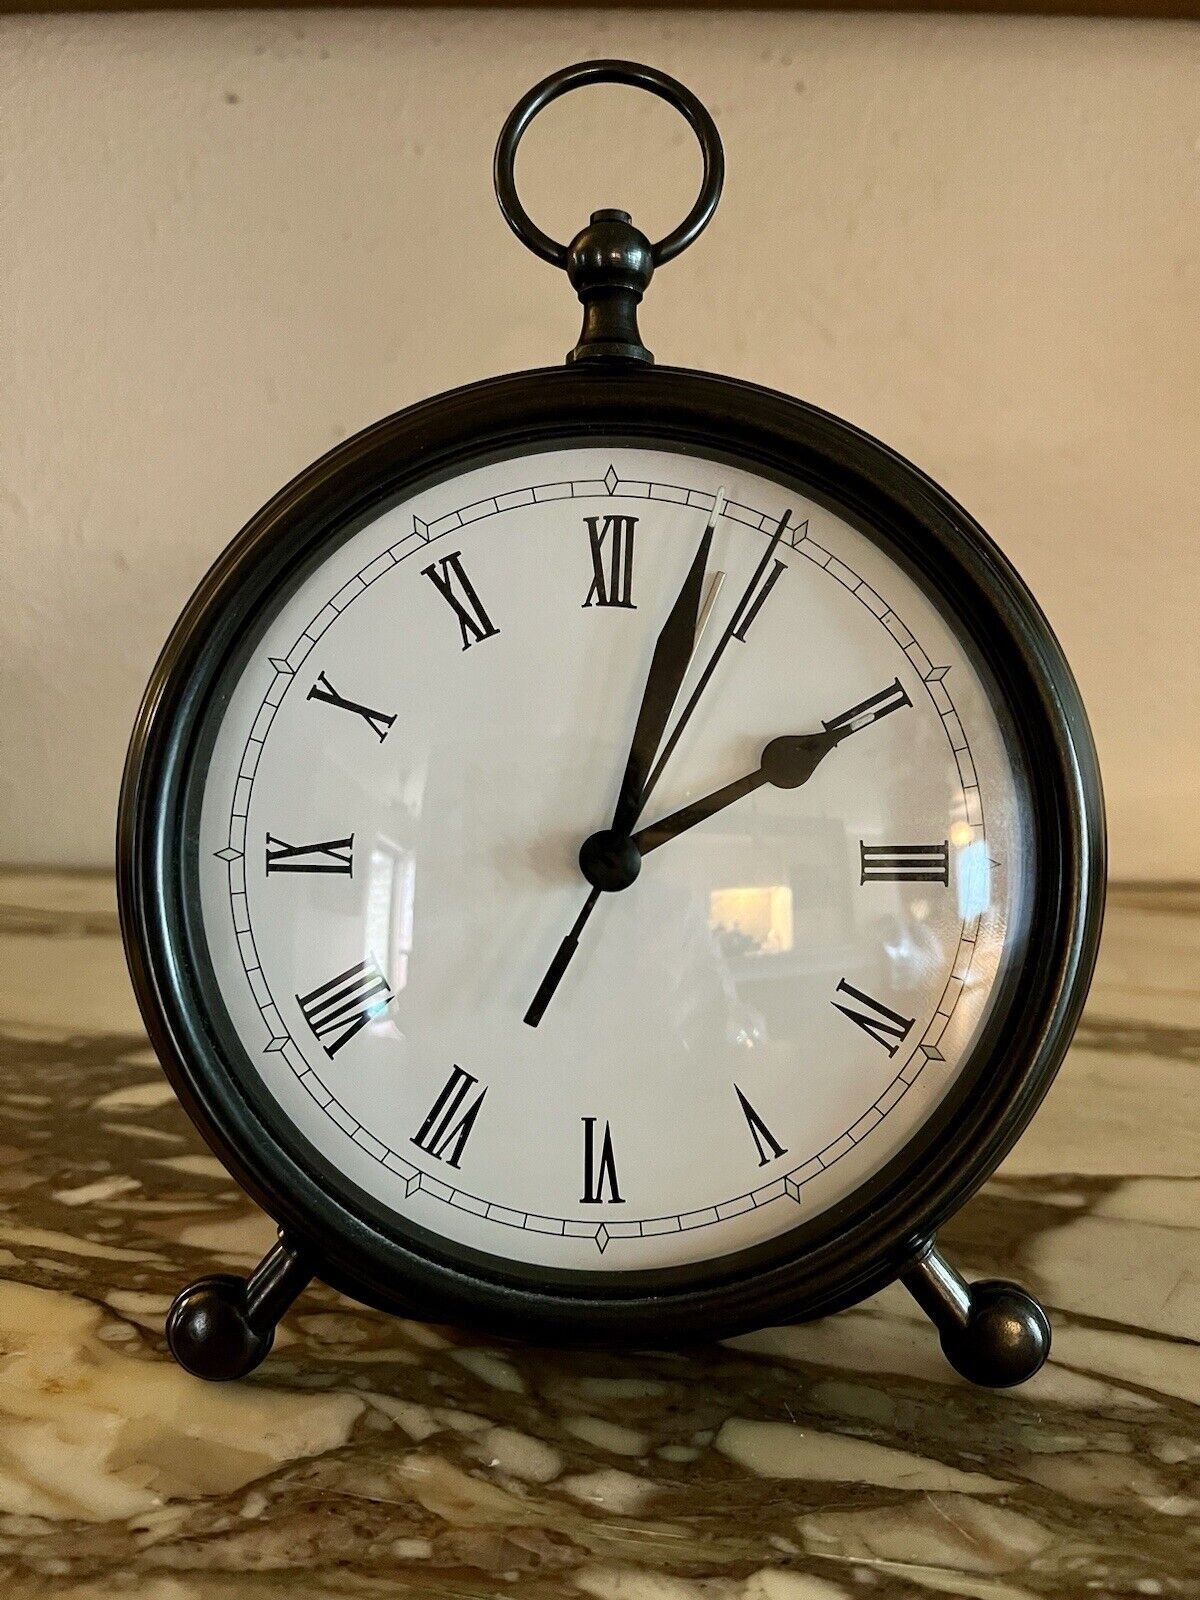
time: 2:02
